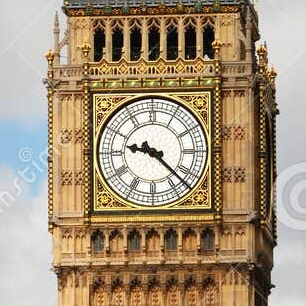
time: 9:22
